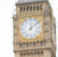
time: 12:08
